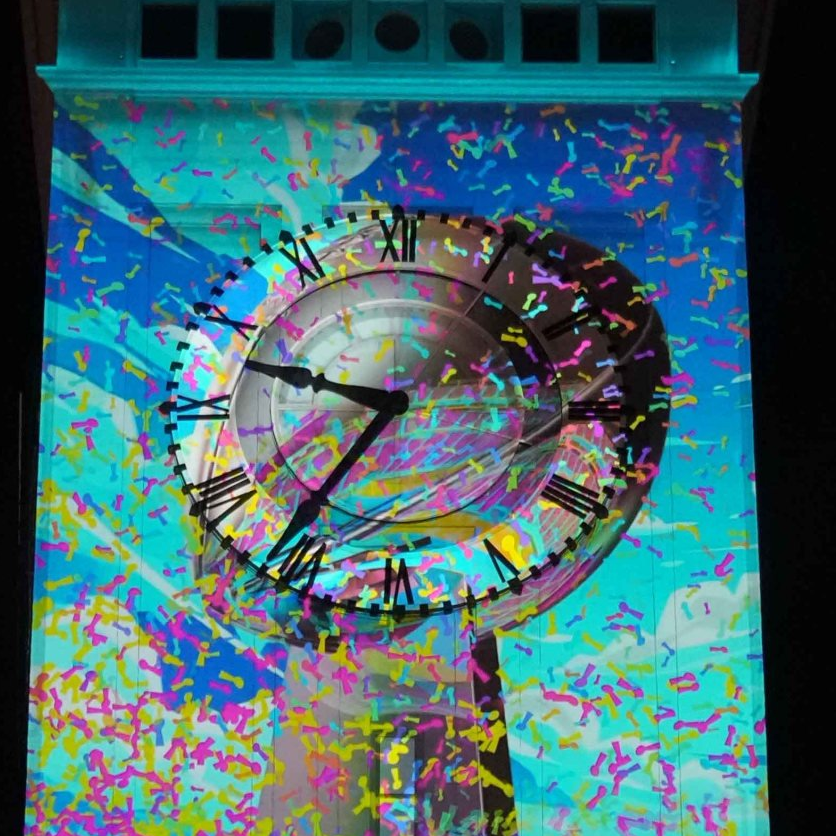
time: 9:36
